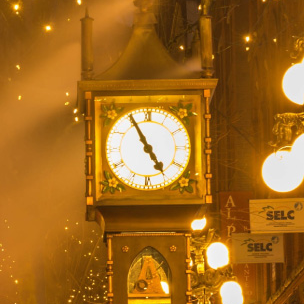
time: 4:55
